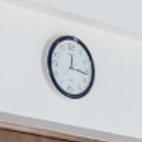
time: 12:16
